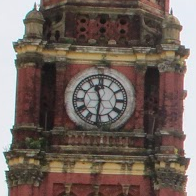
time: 11:31
